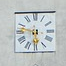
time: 5:47
